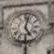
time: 5:02
